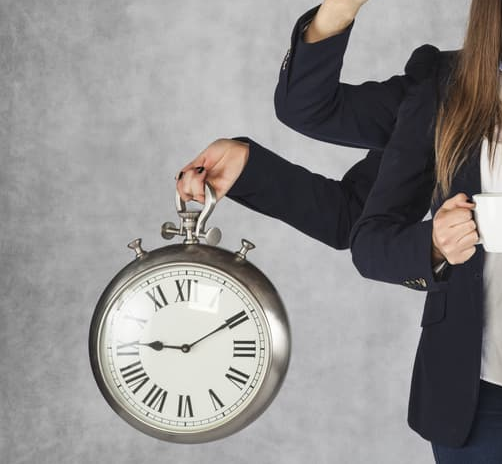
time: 9:09
